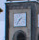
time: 1:36
